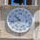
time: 10:42
